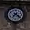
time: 7:22
